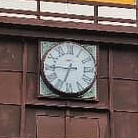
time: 6:45
